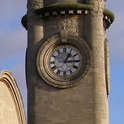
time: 1:14
